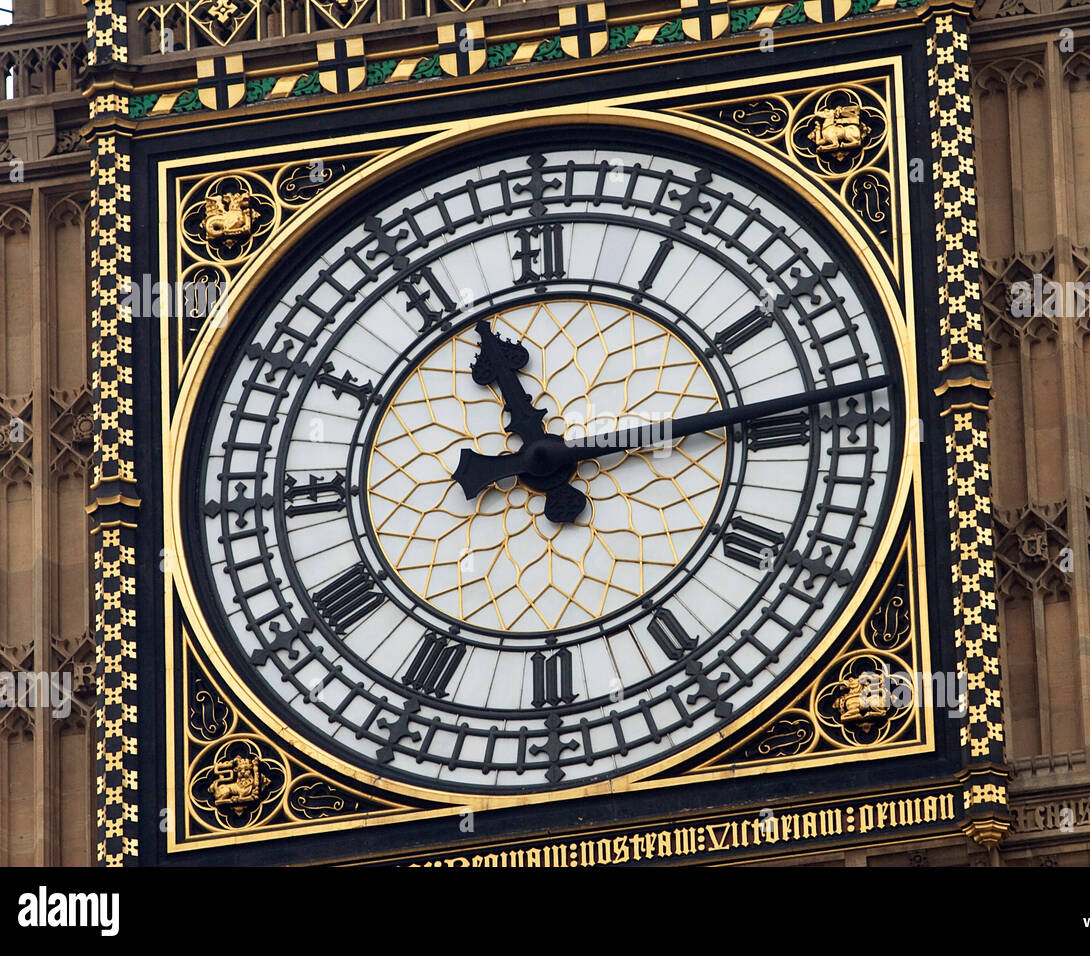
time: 11:13
